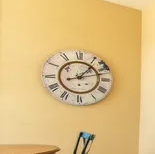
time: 1:12
